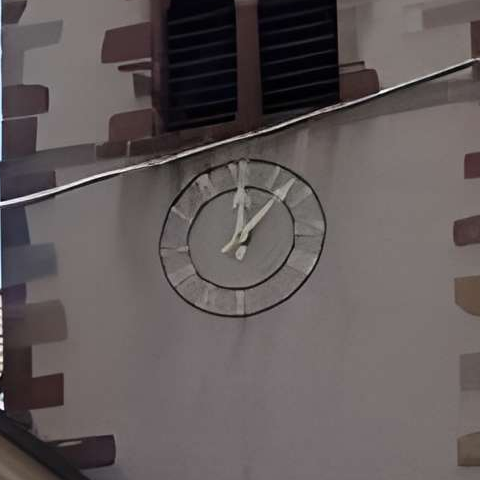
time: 12:07
